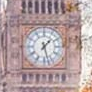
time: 1:27
